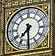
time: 7:30
